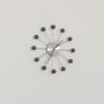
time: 1:34
